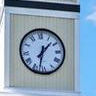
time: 1:32
